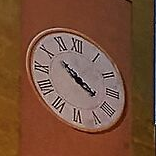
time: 3:51
